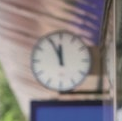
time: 11:55
